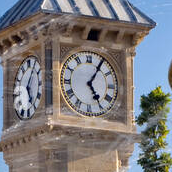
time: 5:05
